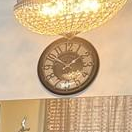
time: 1:50
